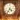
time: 4:35
